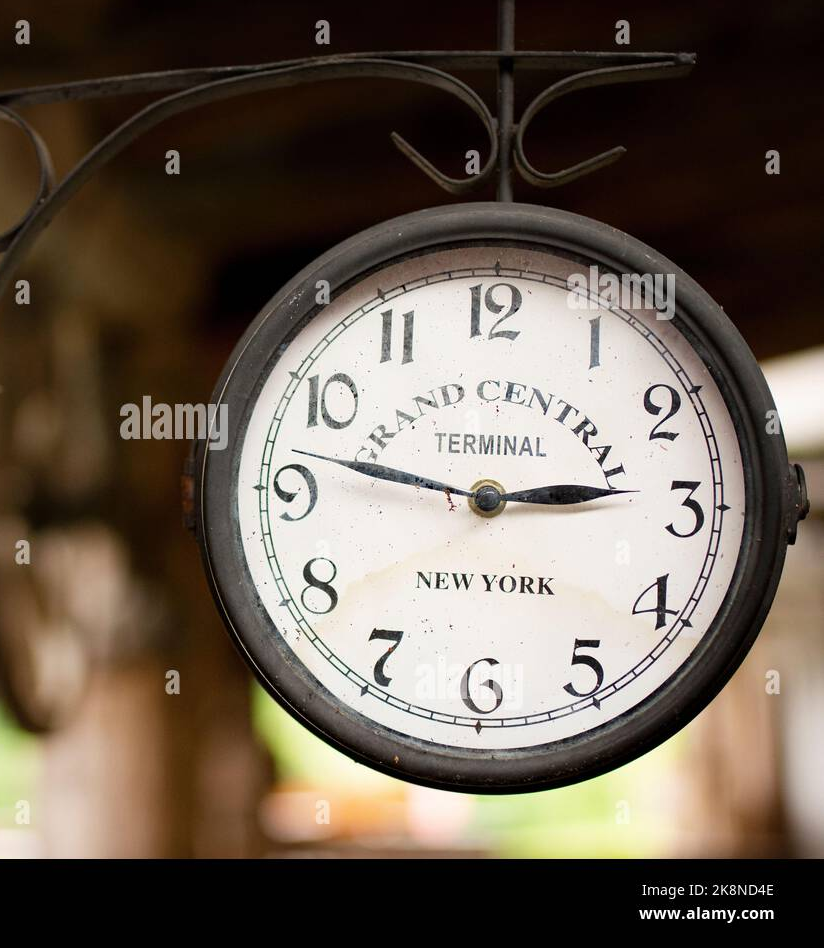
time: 2:46
